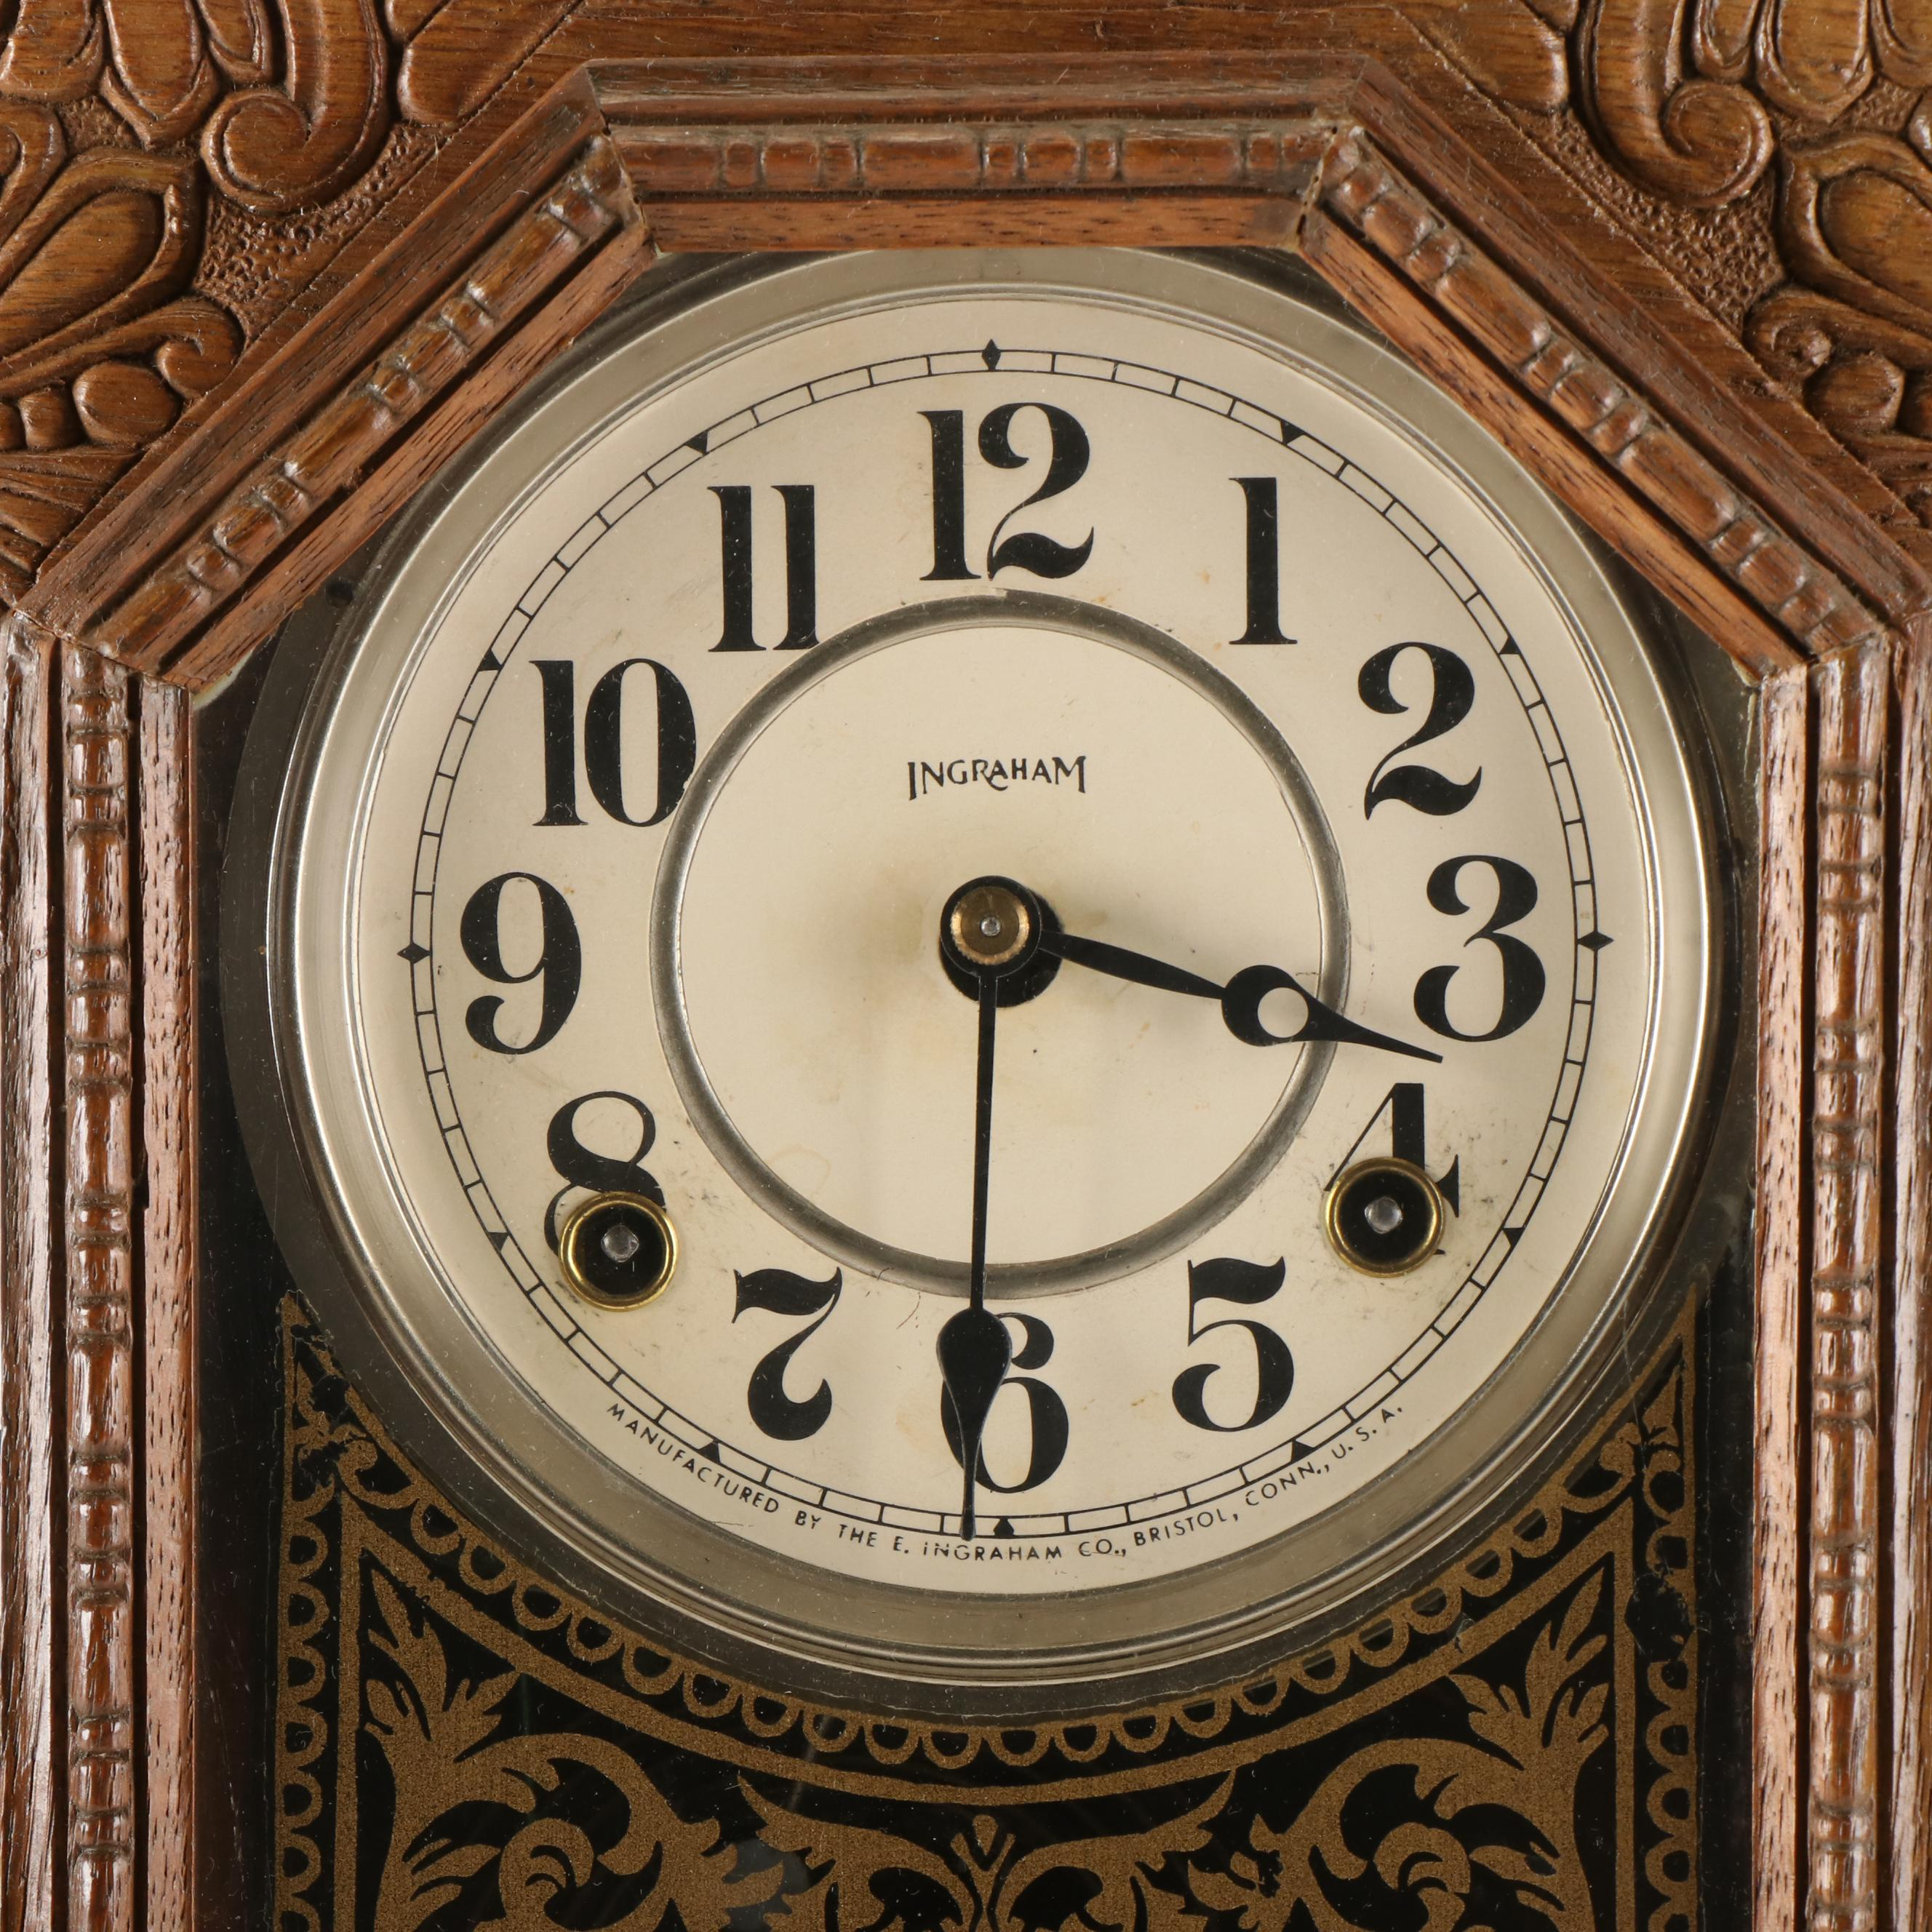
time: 3:30
